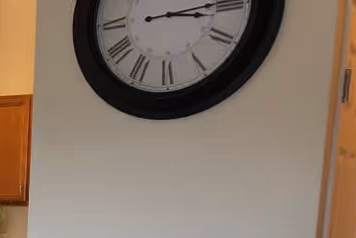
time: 3:13
